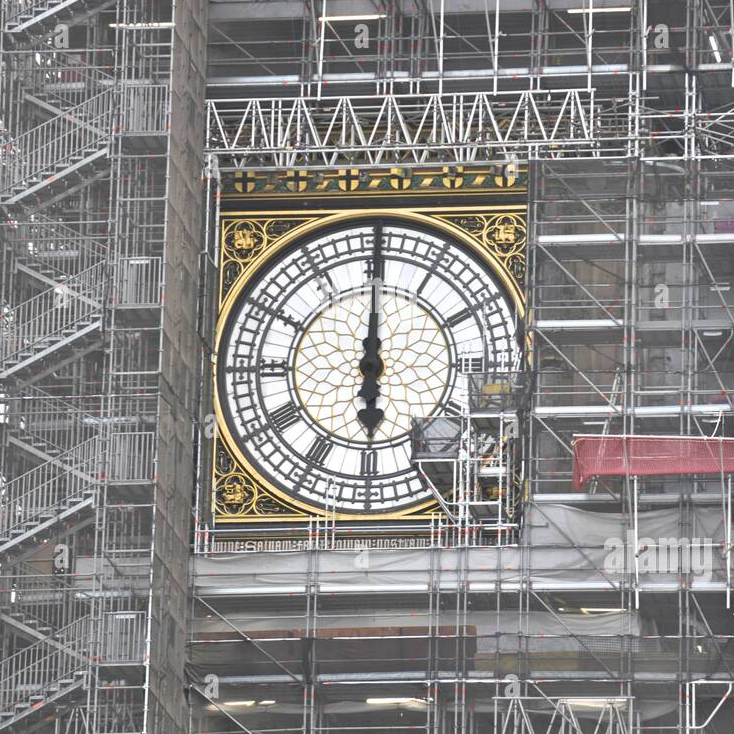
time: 5:59
